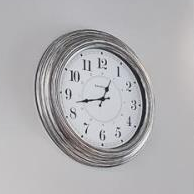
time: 12:42
